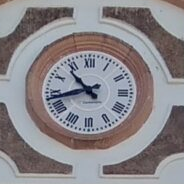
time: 10:42
